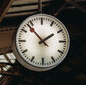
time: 1:53
